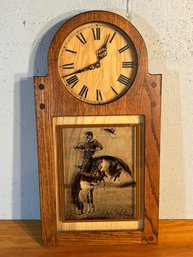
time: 12:41
